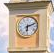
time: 6:11
